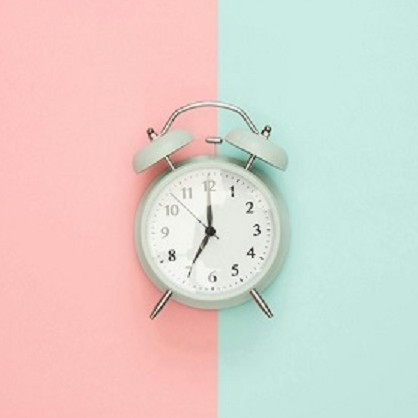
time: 7:00
